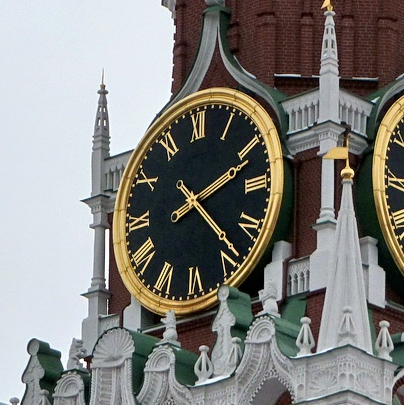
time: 2:23
